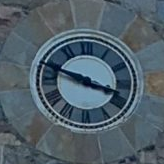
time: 3:48
